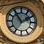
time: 1:54
